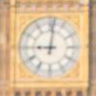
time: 9:01
